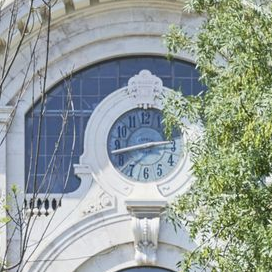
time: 2:42
